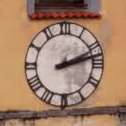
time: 2:12
